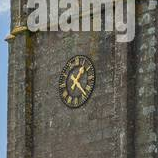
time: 1:21
